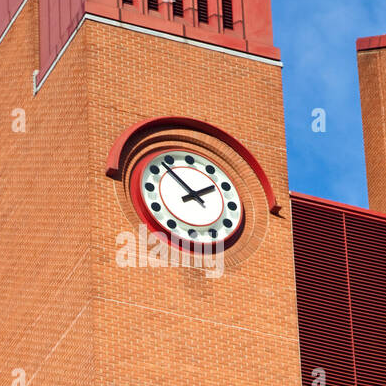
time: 1:52
